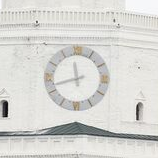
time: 11:42
